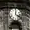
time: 4:01
